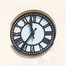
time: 11:35
